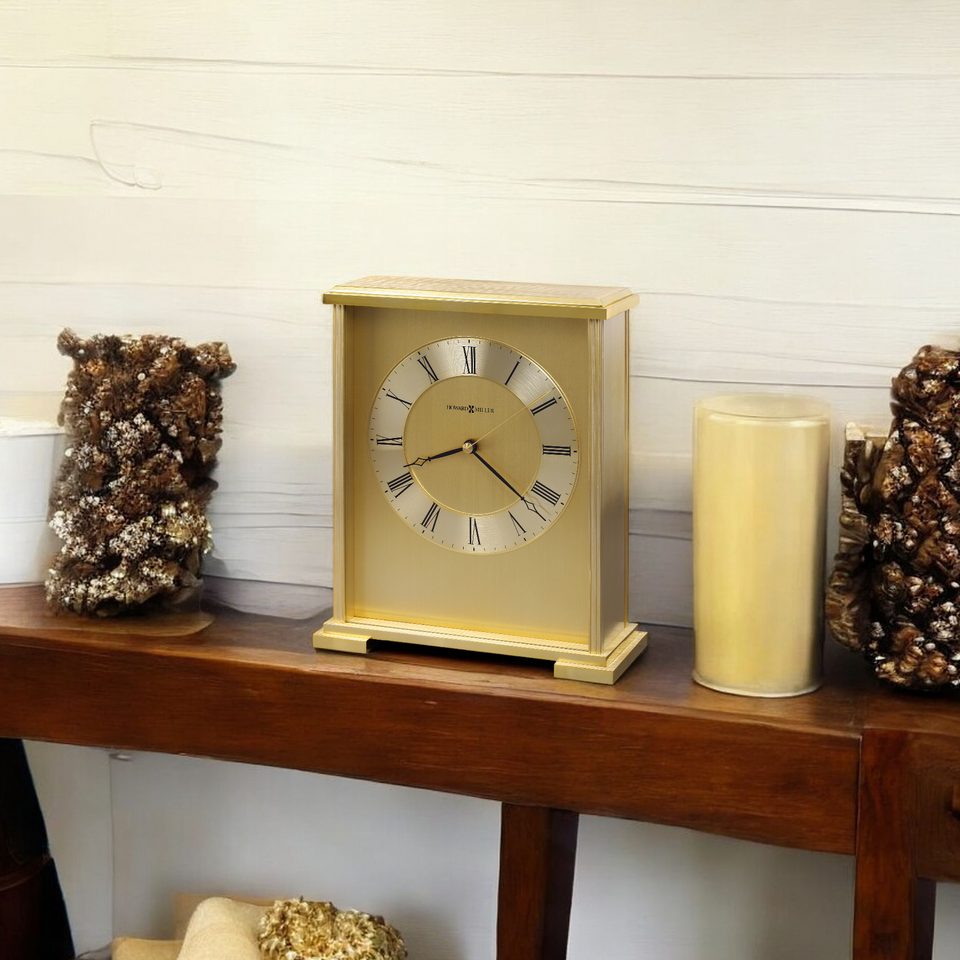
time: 8:21
